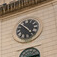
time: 10:22
